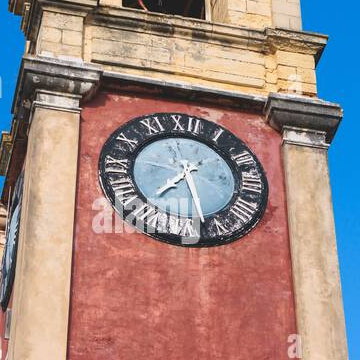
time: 7:27
